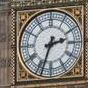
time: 2:33
